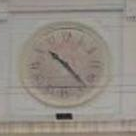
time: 10:22
